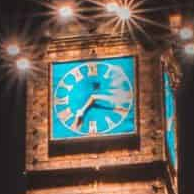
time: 7:16
